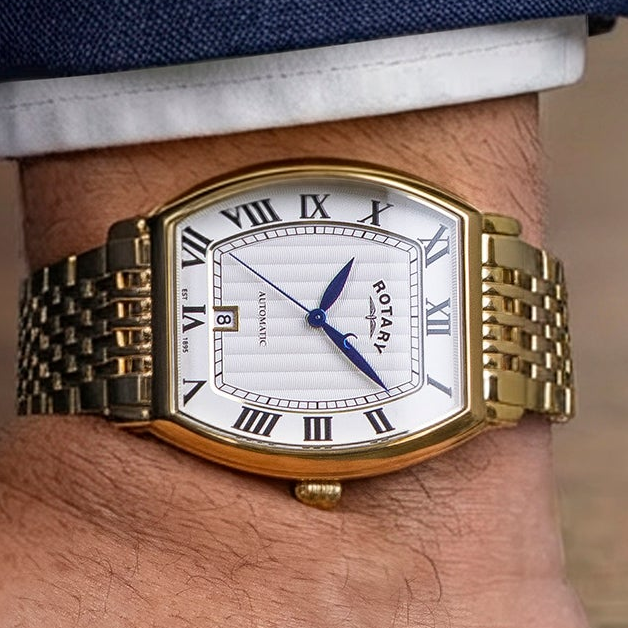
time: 1:22
